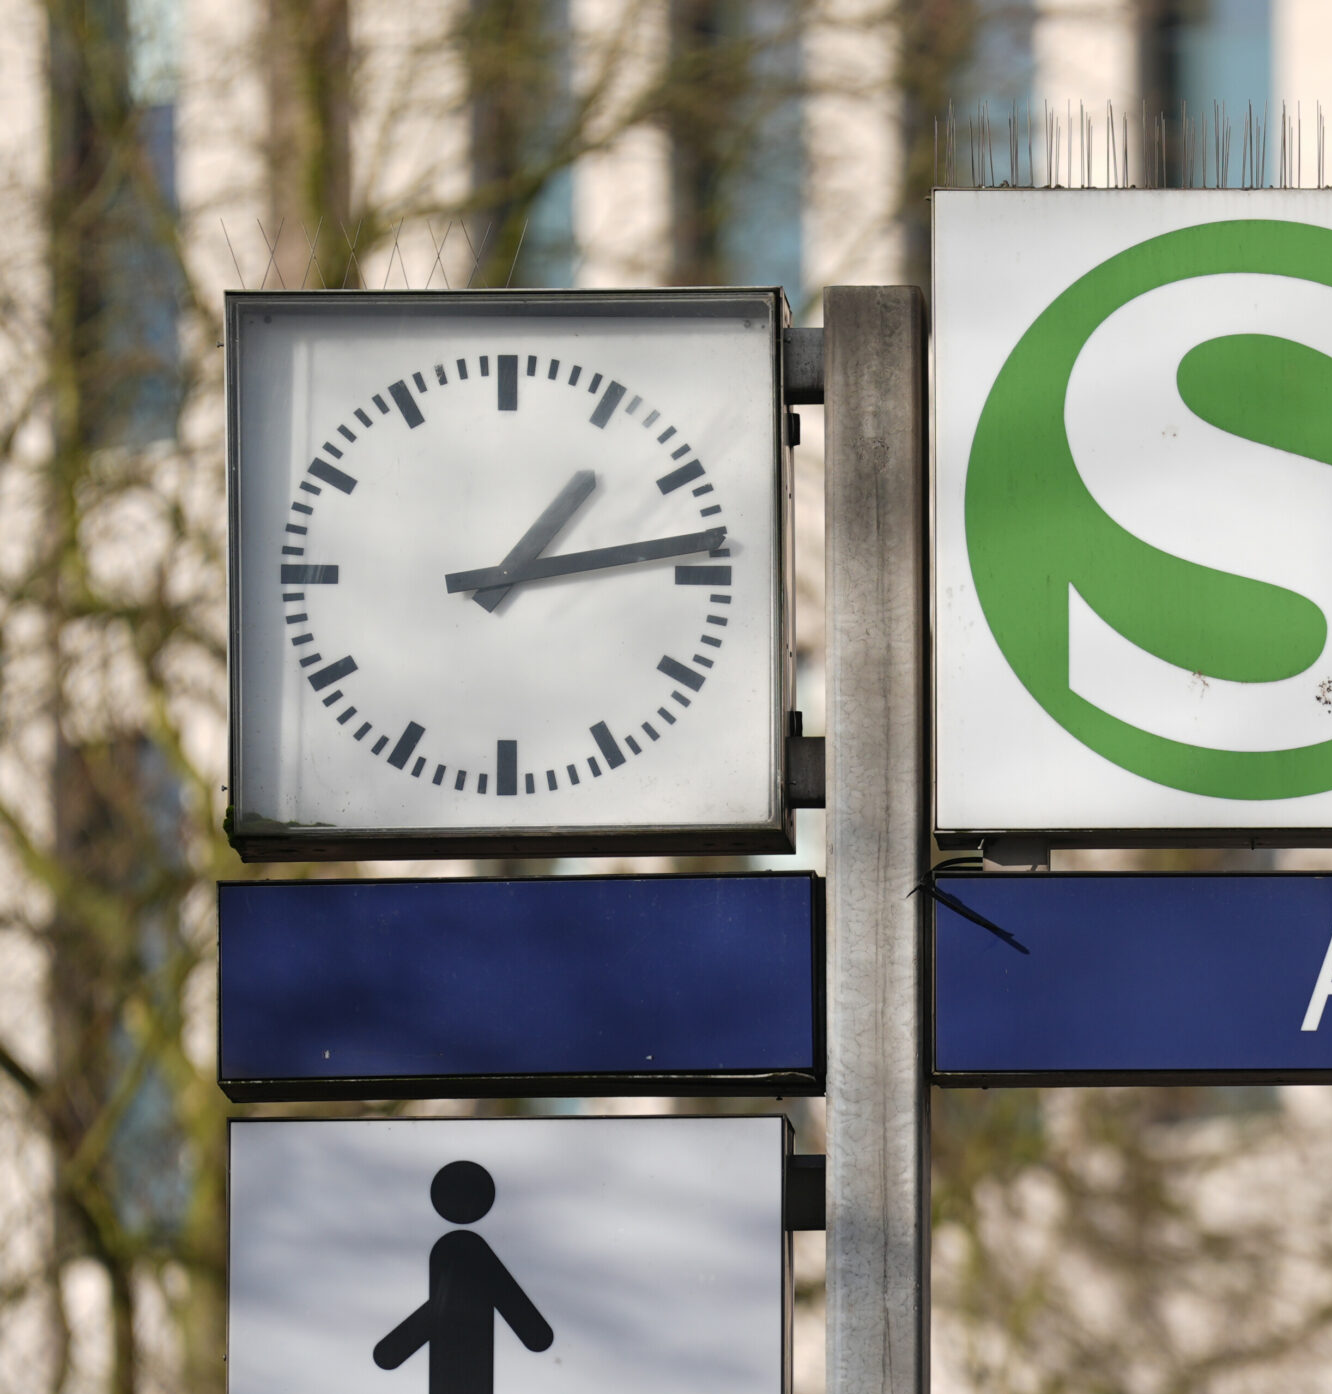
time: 1:13
